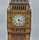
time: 3:28
